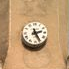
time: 2:25
